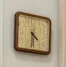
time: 4:29
